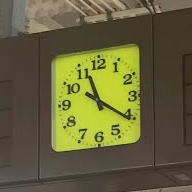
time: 11:20
